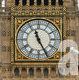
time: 11:25
